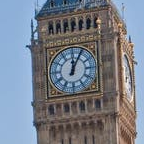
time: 12:04
